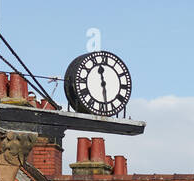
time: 11:28
